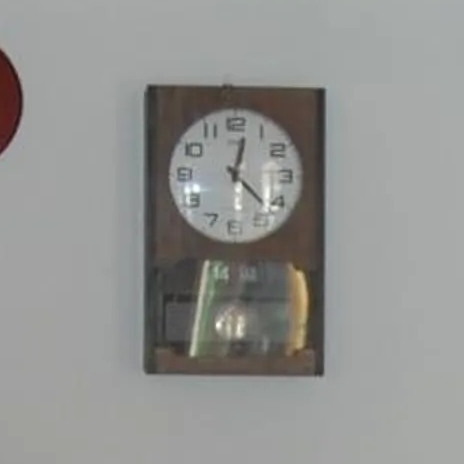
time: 12:21
